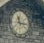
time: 11:16
